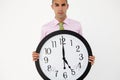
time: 5:00
